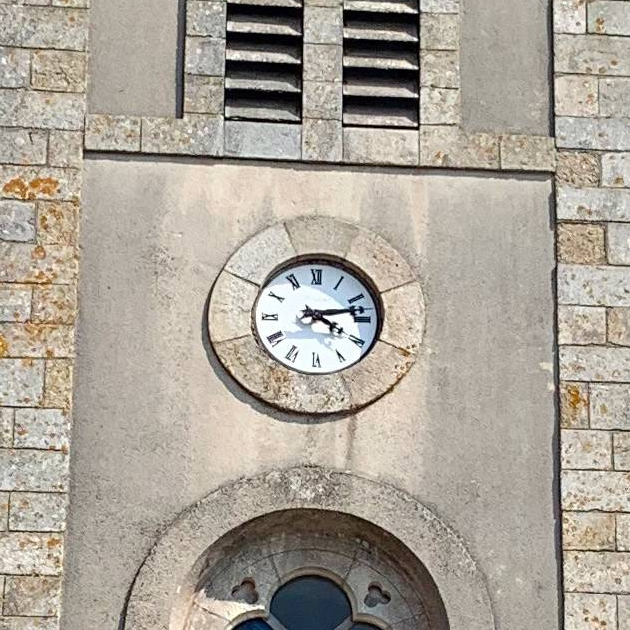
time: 4:12
